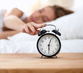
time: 6:03
